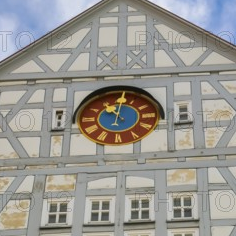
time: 11:01
